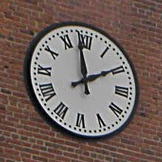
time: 1:58
